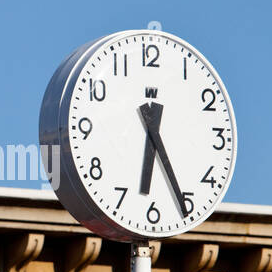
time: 6:25
